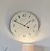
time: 1:49
